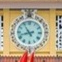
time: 10:42
